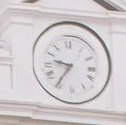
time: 9:35
